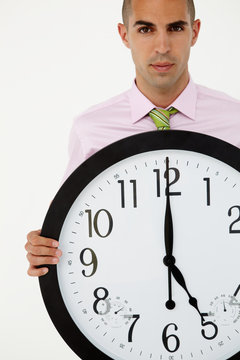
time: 5:00
